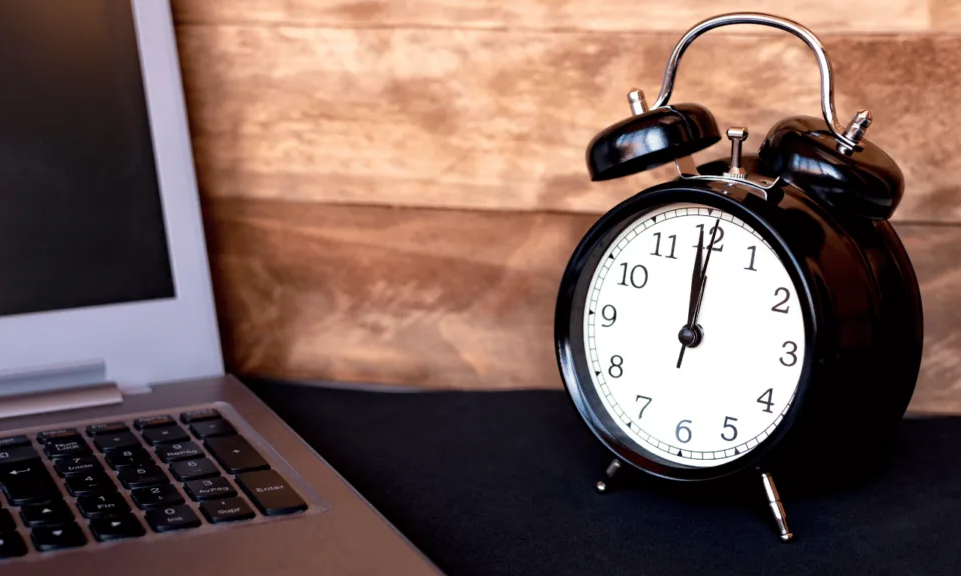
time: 12:00
